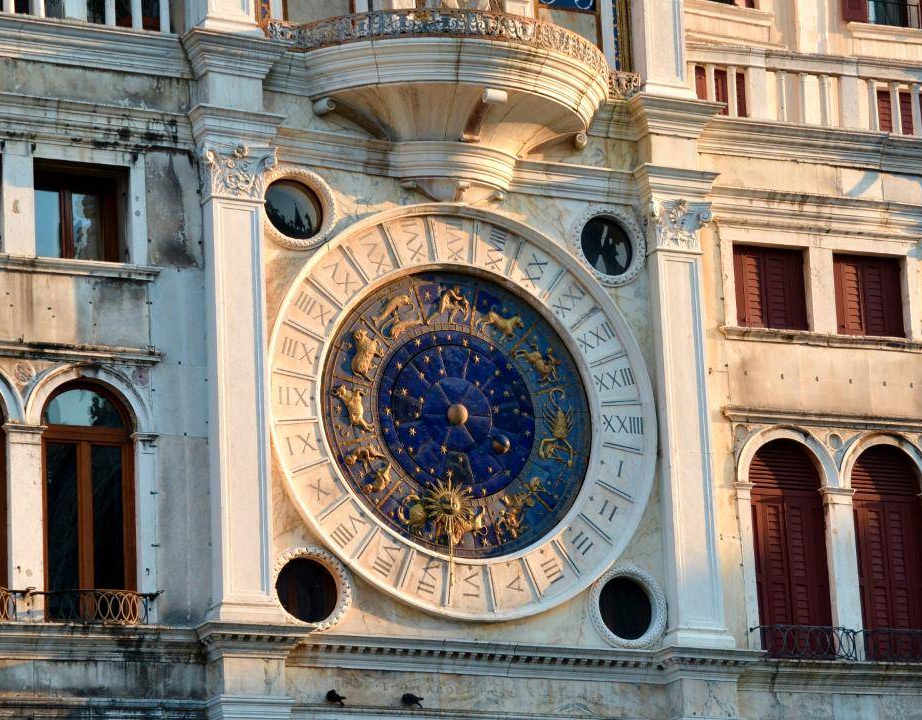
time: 3:32
